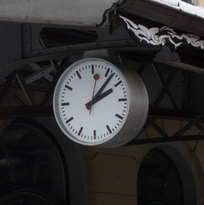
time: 2:06
